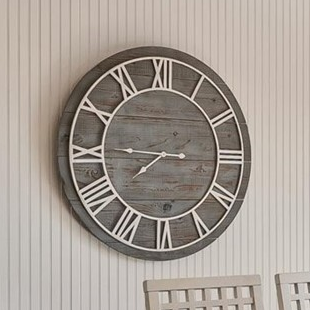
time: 7:45
